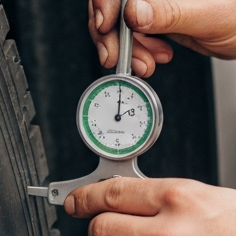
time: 2:01
